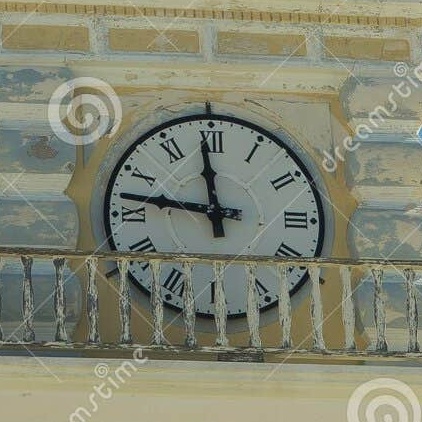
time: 11:46
